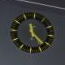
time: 11:22
